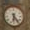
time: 6:23
